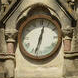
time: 12:32
